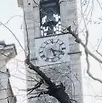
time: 5:18
